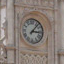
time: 3:07
